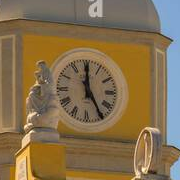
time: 4:59
